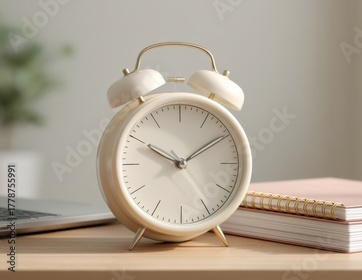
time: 9:50
